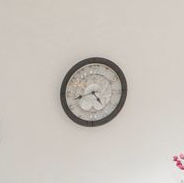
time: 4:42
